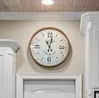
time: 11:02
